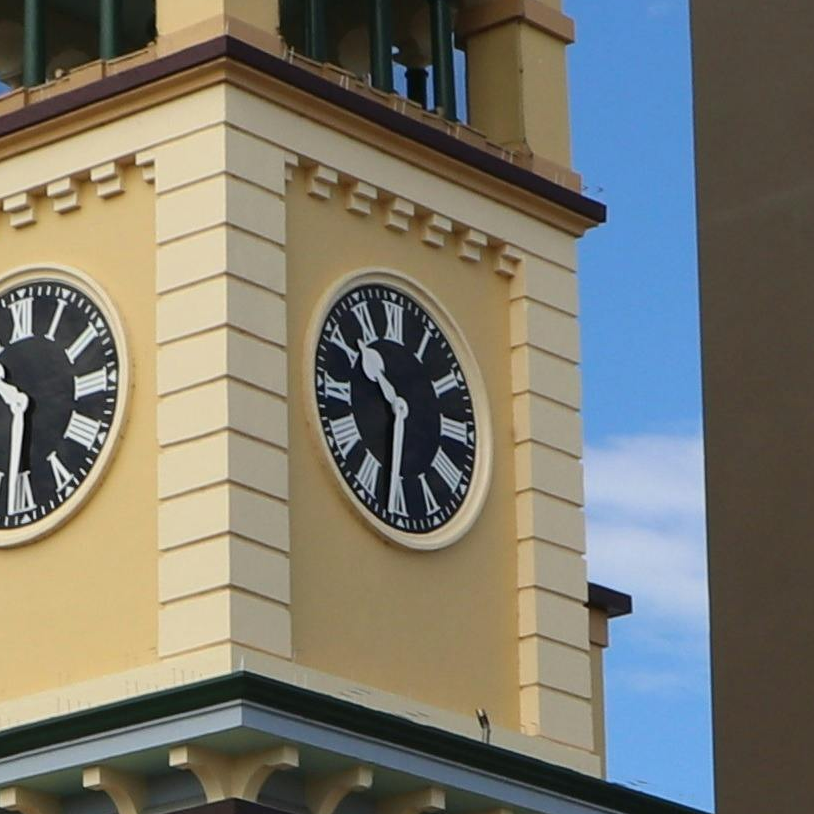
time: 10:31
